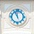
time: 11:56
